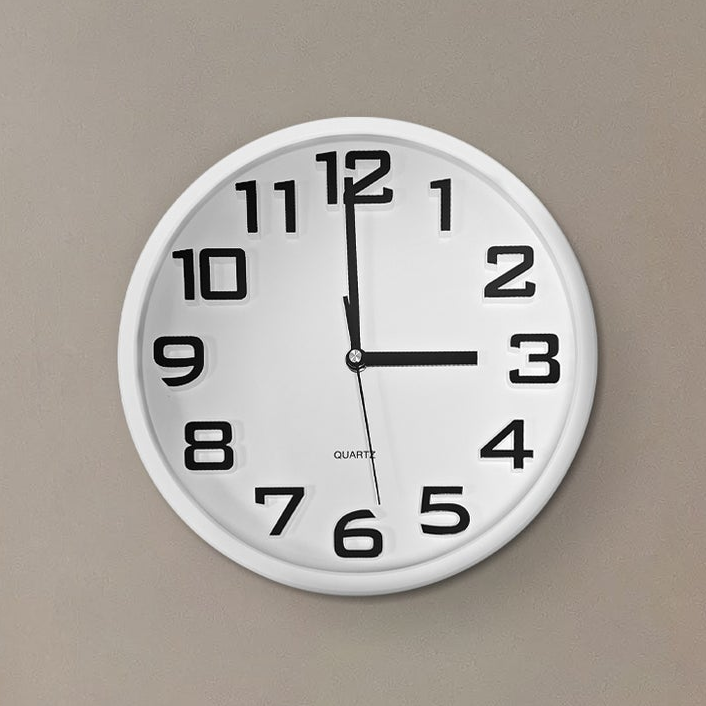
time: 2:59
